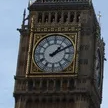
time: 1:10
